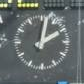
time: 2:02
